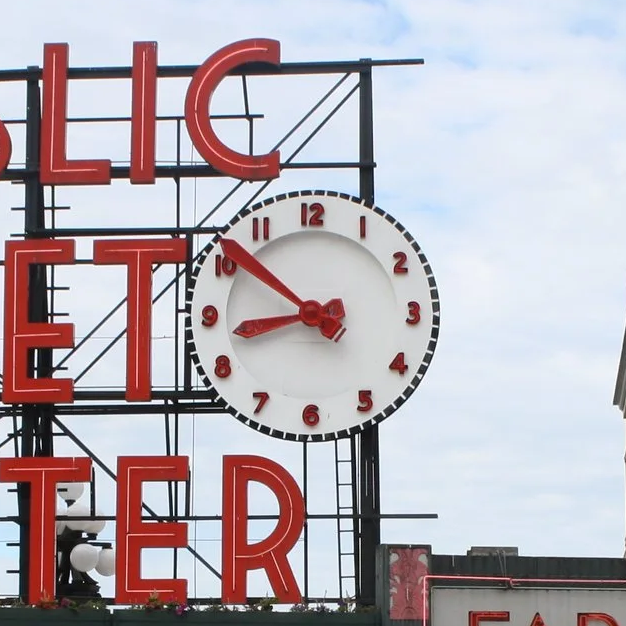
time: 8:51
